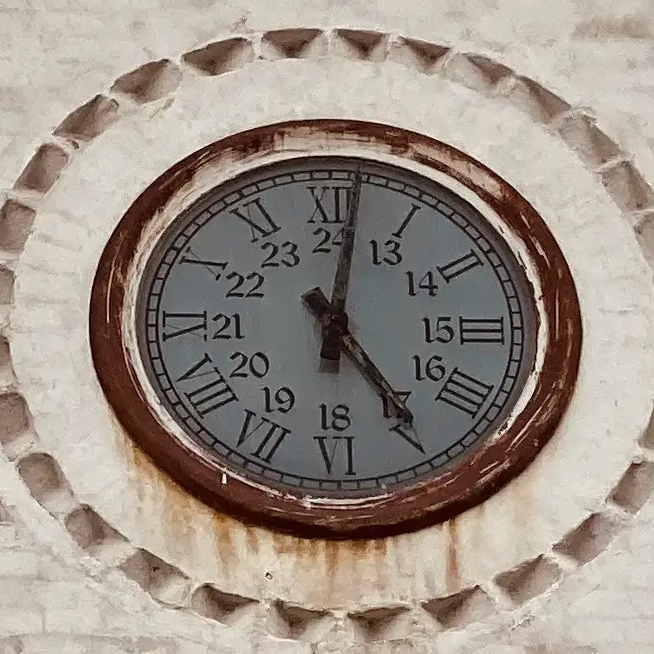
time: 5:01
